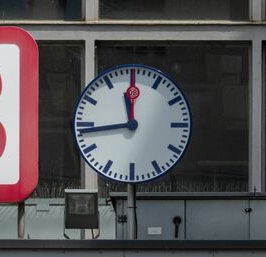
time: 11:43
